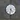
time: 4:32
